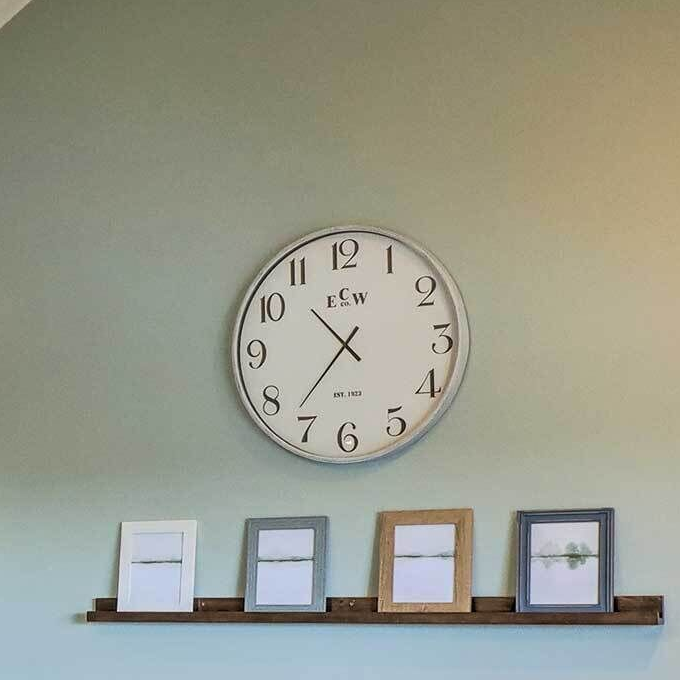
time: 10:36
